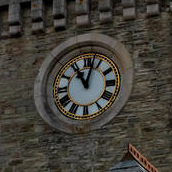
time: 11:02
